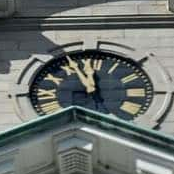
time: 11:55
